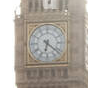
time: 6:21
